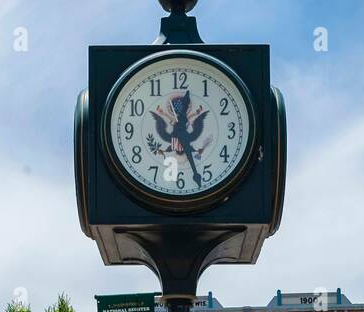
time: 12:26
